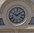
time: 1:50
